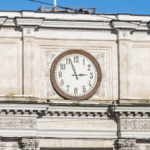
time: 2:56
